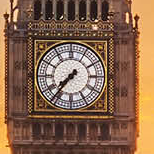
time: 7:36
